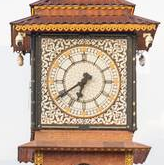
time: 6:39
